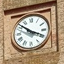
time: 3:51
